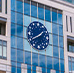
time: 1:40
